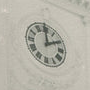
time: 1:59
